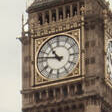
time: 10:47
